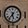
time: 5:36
